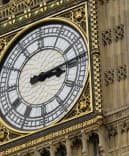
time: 3:13
